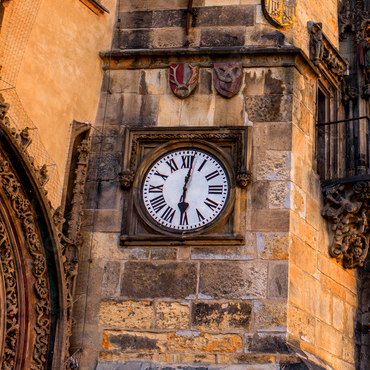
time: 6:01
